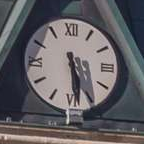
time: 5:28
